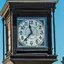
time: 11:37
